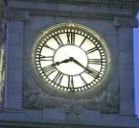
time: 8:20
